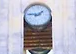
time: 1:46
